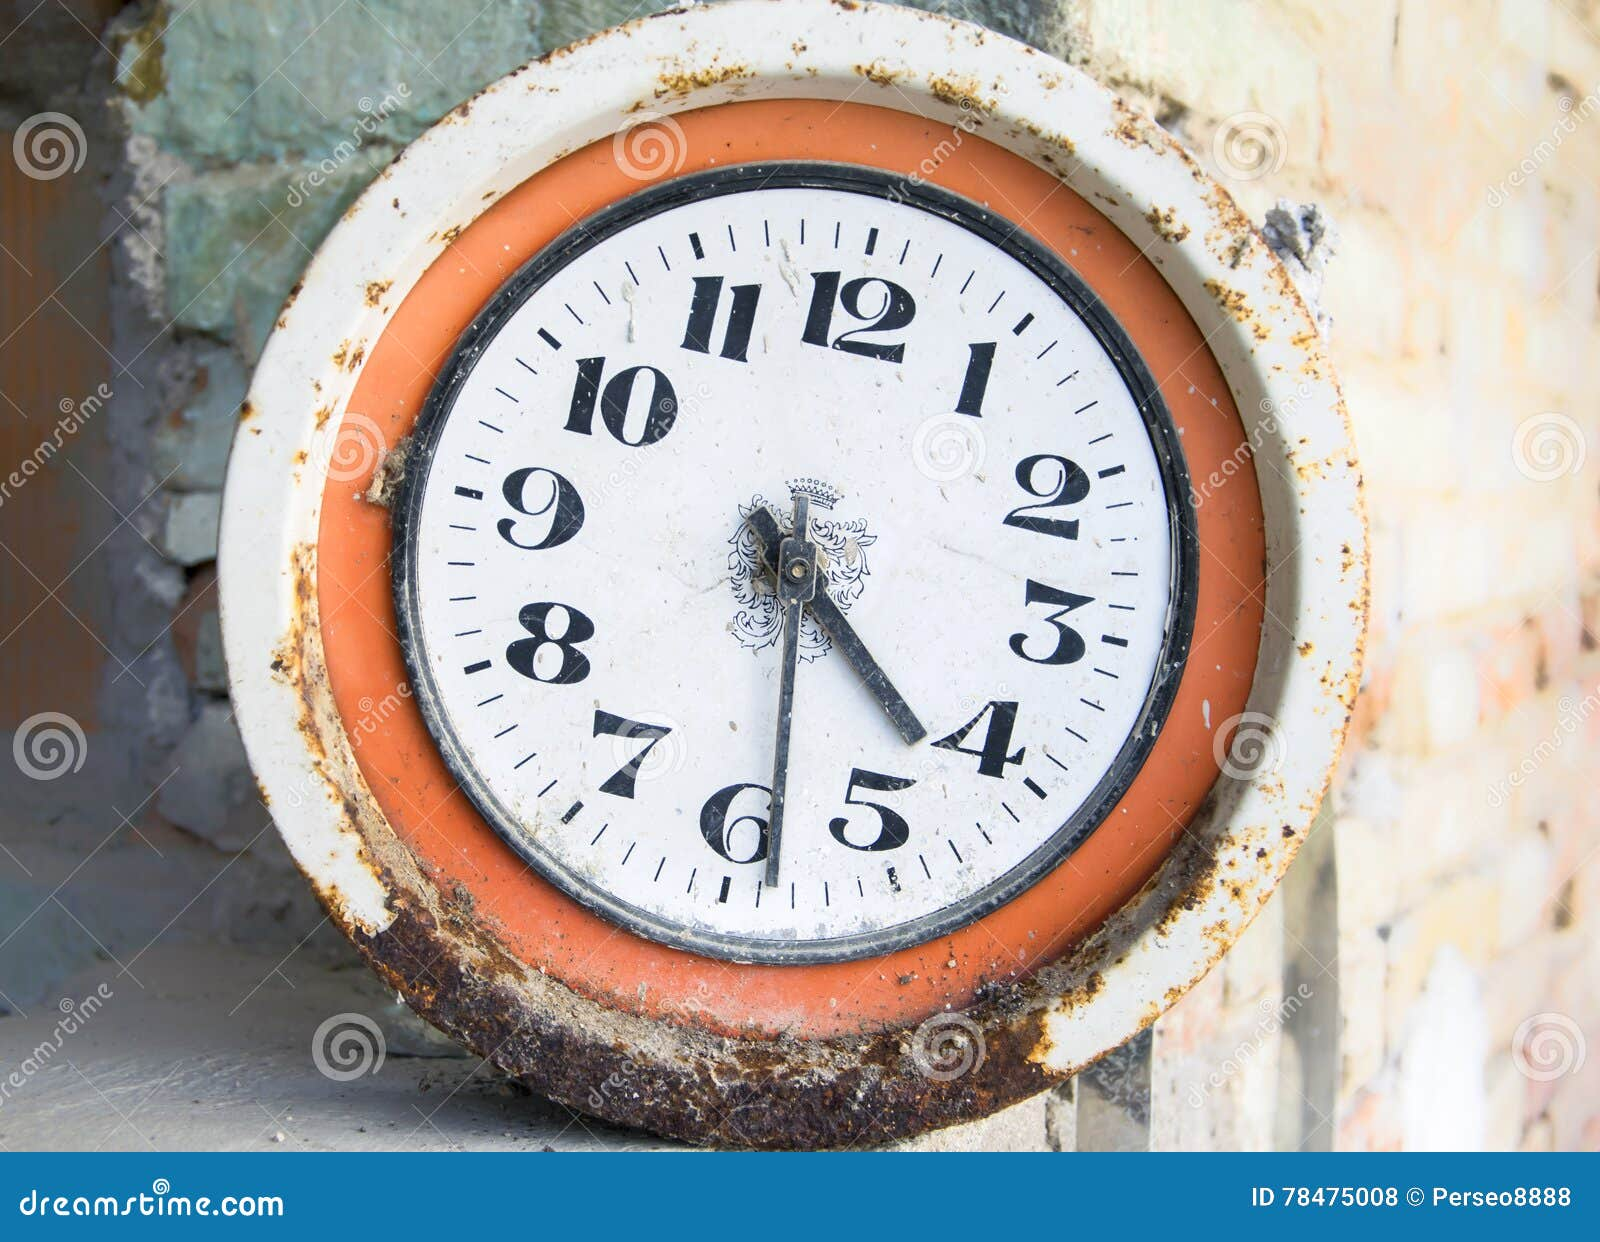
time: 4:28
